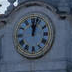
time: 12:02
